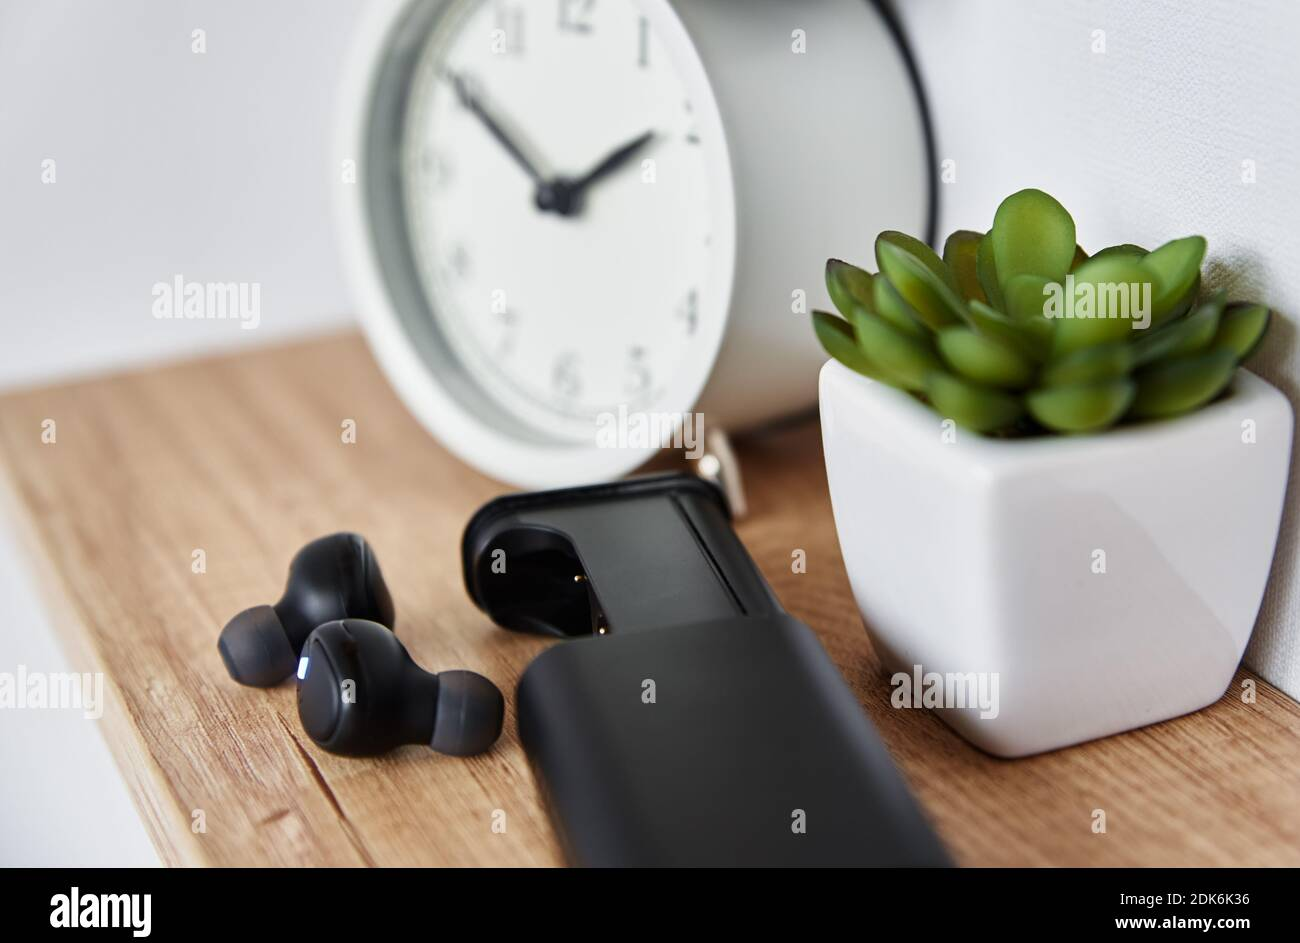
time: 1:50
